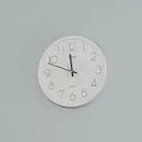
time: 11:48
